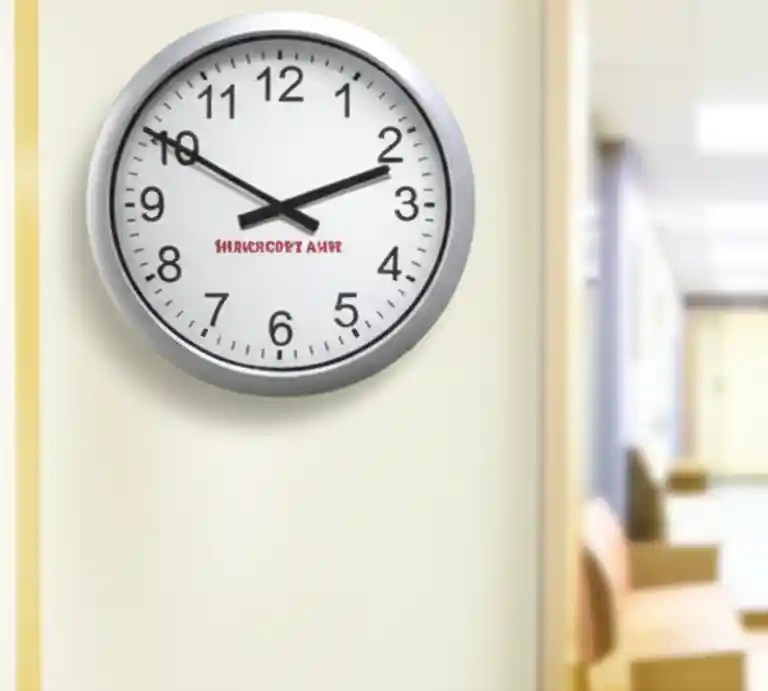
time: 10:11
